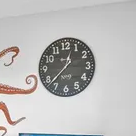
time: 12:37
